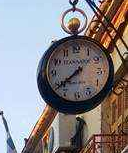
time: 7:38
